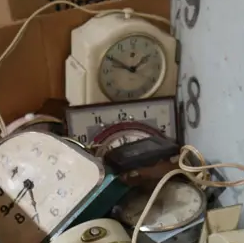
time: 1:49
